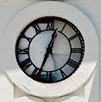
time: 12:33
